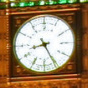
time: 8:25
